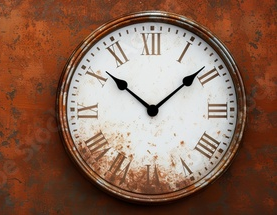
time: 10:08
